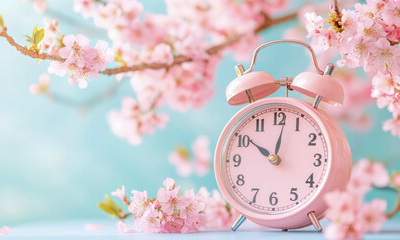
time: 10:01
